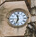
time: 11:32
